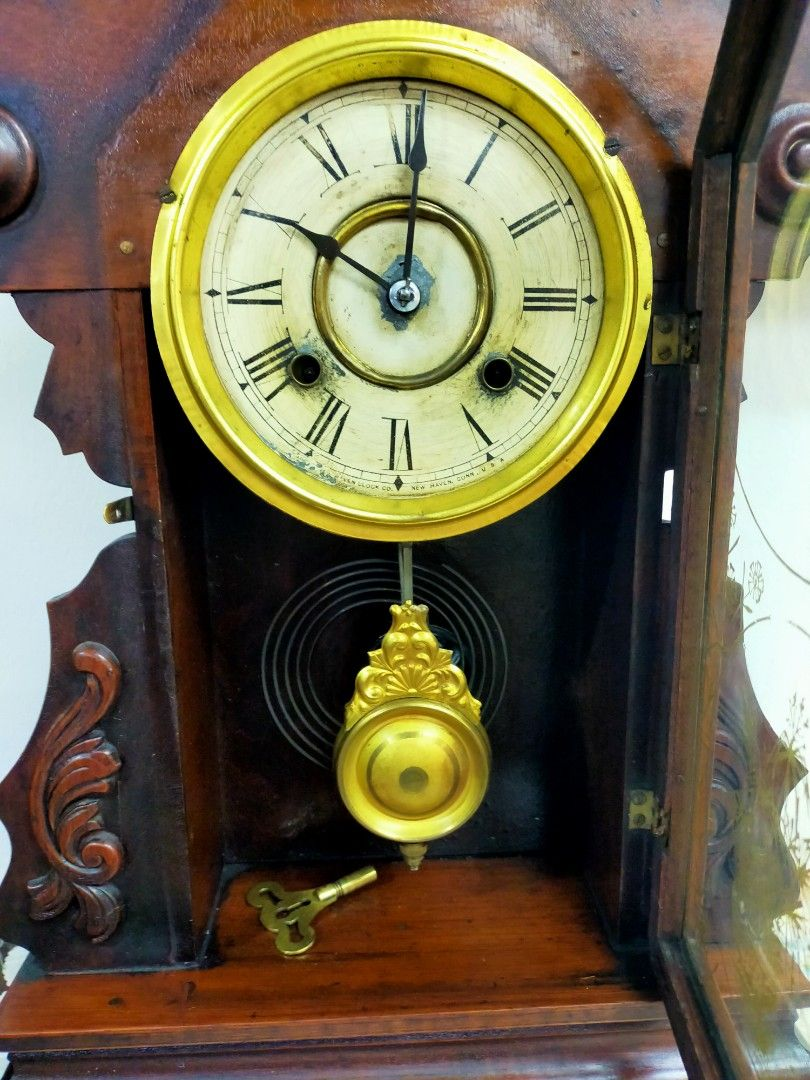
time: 10:00
